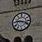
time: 9:18
